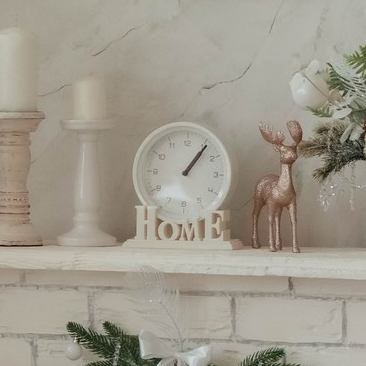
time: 1:06
